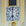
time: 6:00
